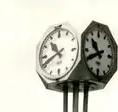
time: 10:41
